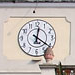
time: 12:20
